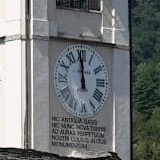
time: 11:59
